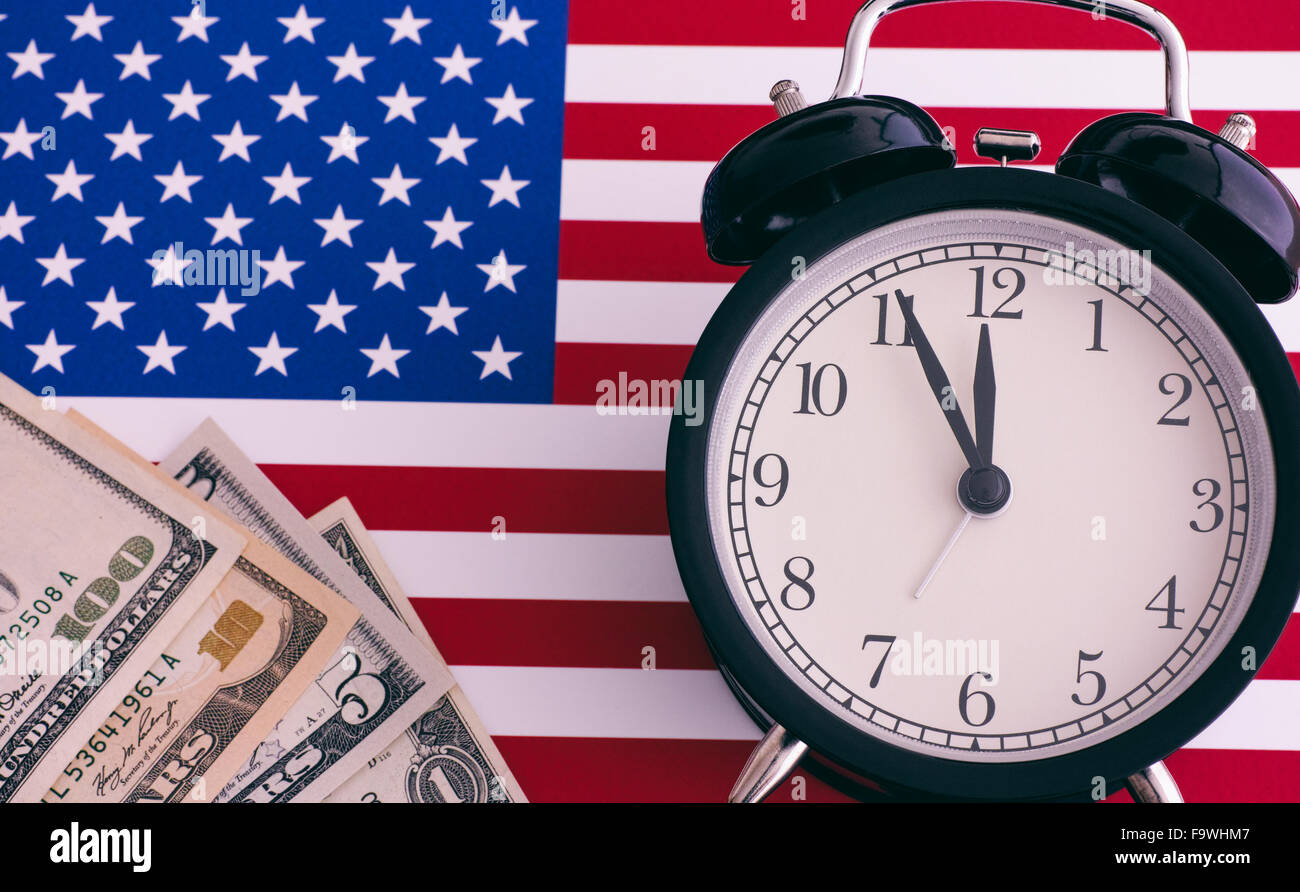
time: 11:55
